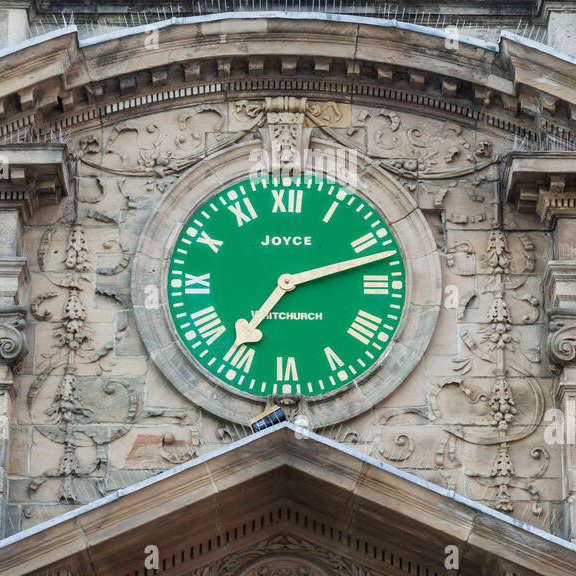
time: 7:12
